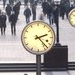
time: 2:23
